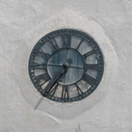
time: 7:15
